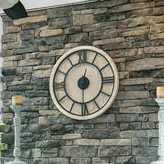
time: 12:30
